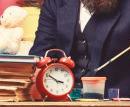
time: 3:50
